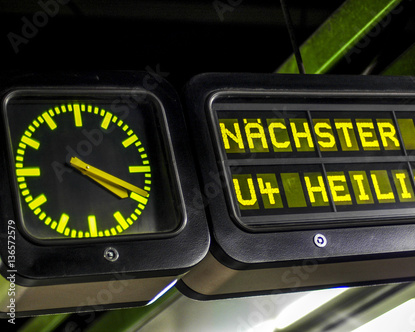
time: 4:19
